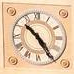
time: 10:24
